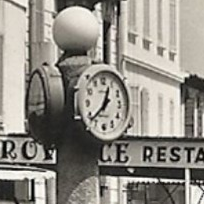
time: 12:37
